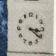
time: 3:21
